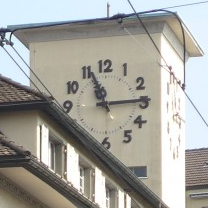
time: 11:14
